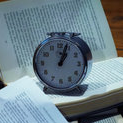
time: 1:03
